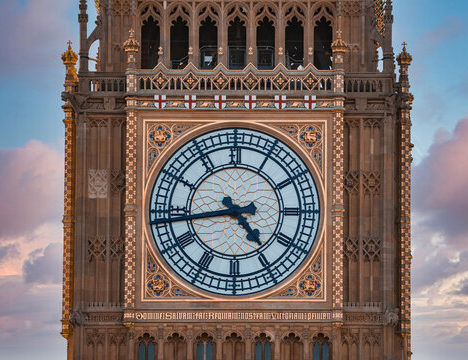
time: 4:43
